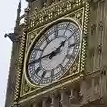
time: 1:45
